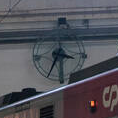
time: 3:34
